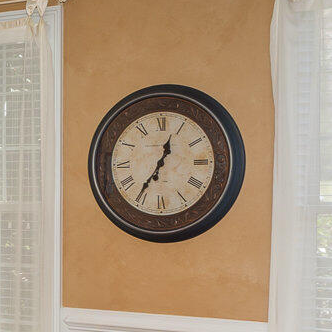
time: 12:35
